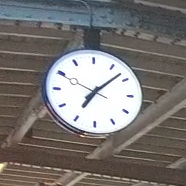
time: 7:07
